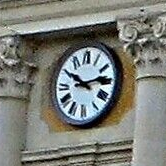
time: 10:12
